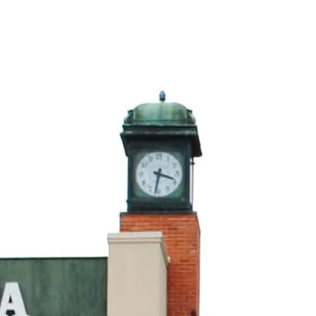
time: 3:32
